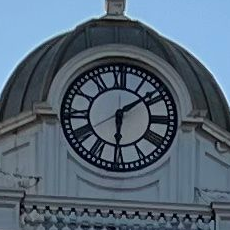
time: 6:08
